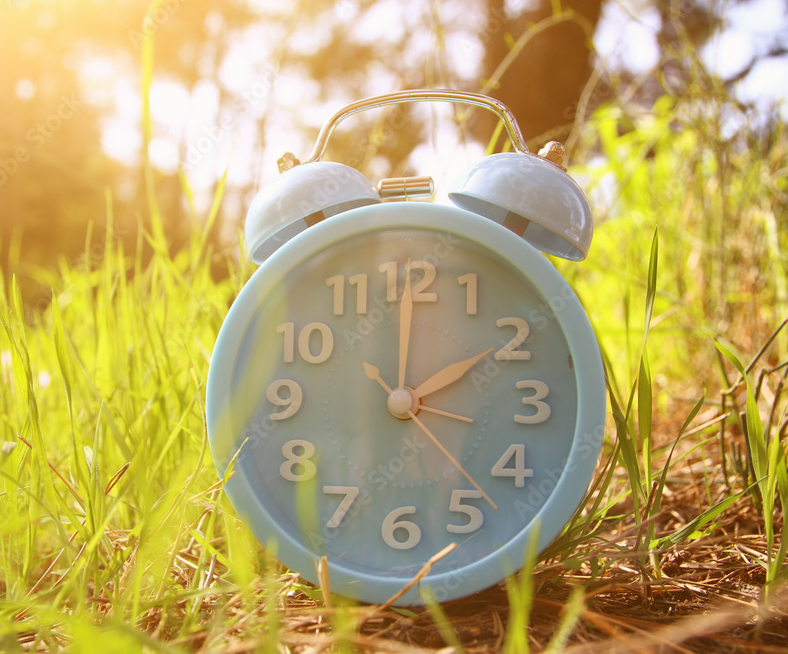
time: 2:00
